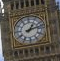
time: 1:12
